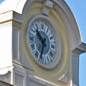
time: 10:34
